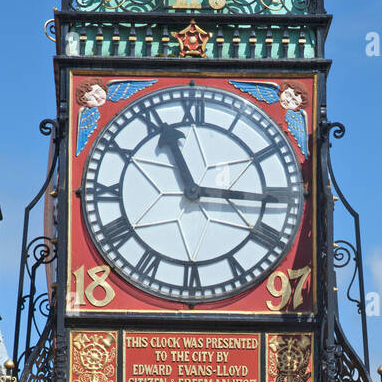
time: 11:15
